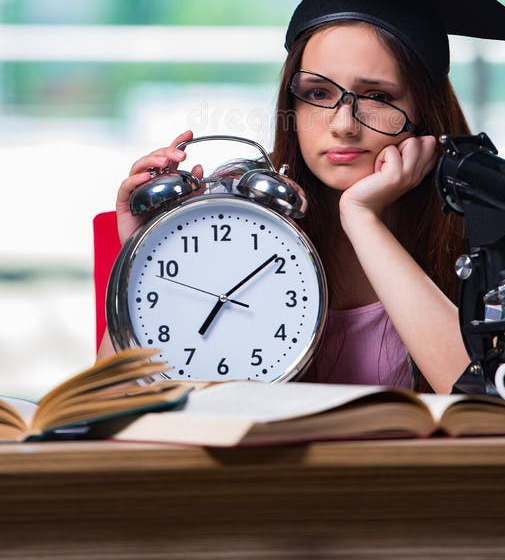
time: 7:08
